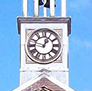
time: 12:47
